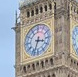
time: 3:33
